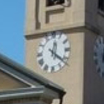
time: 12:21
